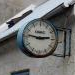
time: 2:46
